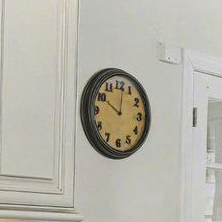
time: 10:01
